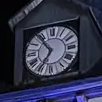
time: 6:53
